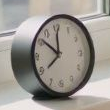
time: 11:51
